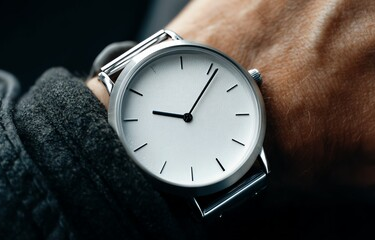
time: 9:06
